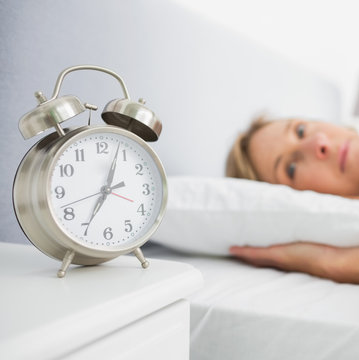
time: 7:03
